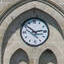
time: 2:52
